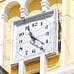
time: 11:22
